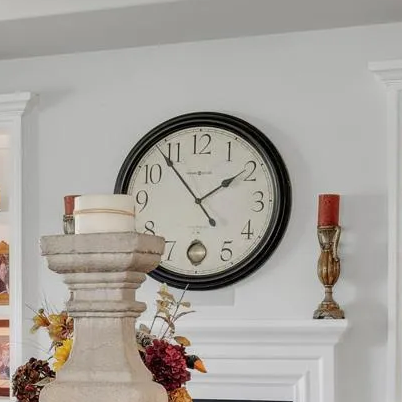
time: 1:53
